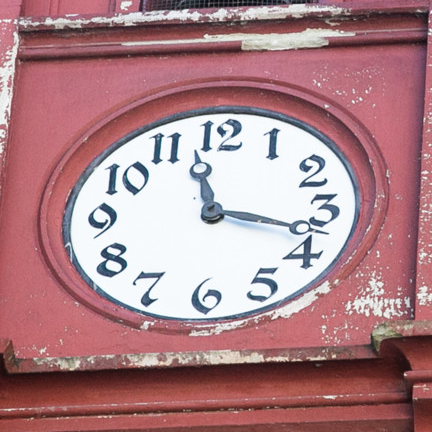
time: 11:17
